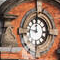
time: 11:46
